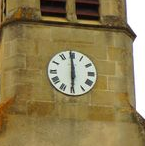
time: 5:59
